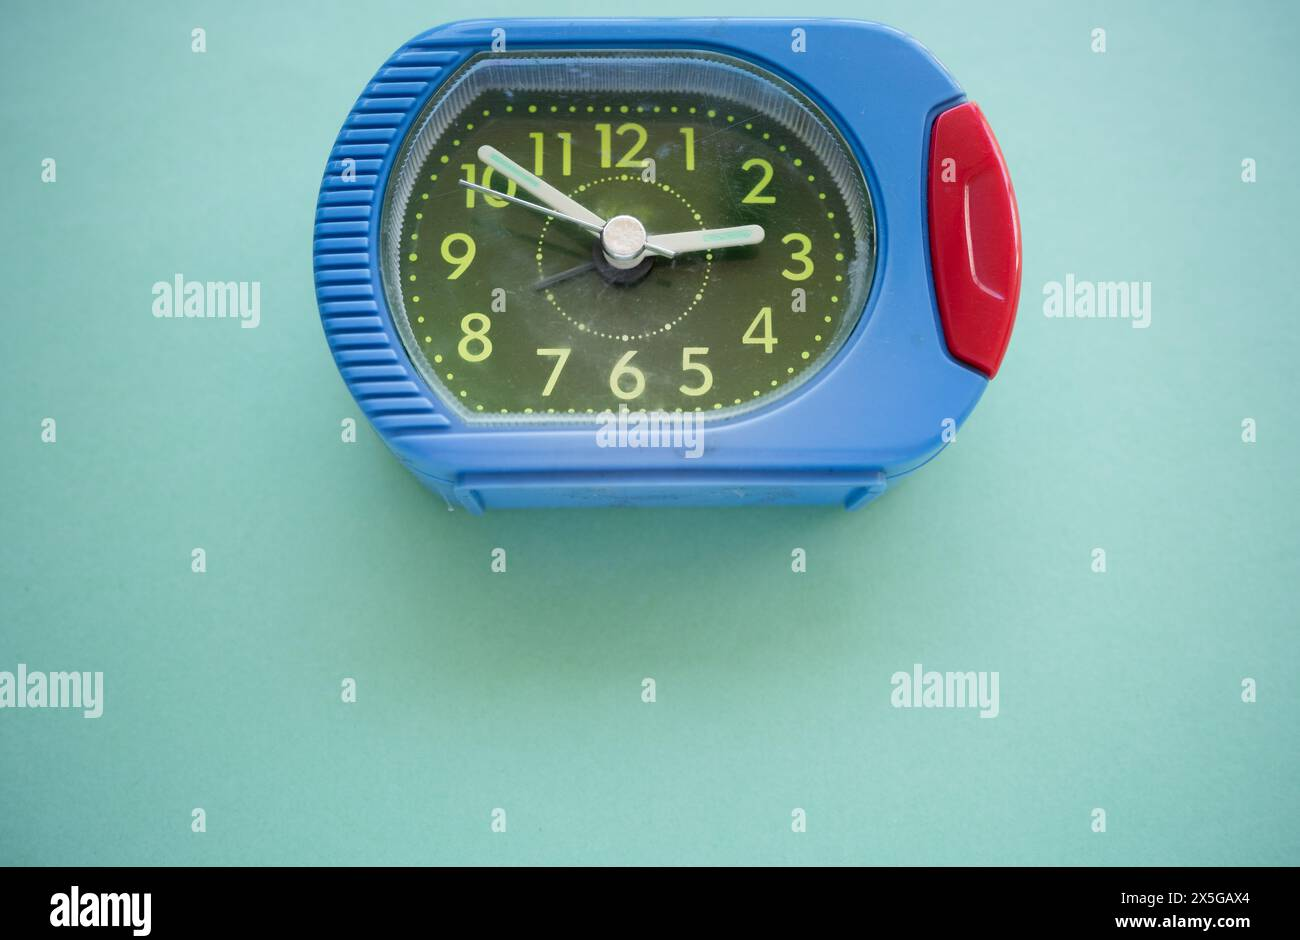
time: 2:51
